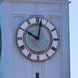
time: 10:02
